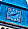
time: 1:42
